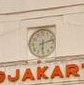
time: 6:12
